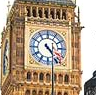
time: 4:23
